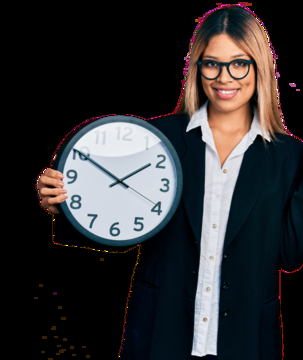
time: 1:50
